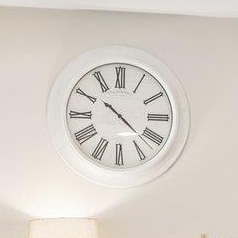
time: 10:22
